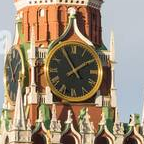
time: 1:55
